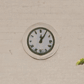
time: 12:05
